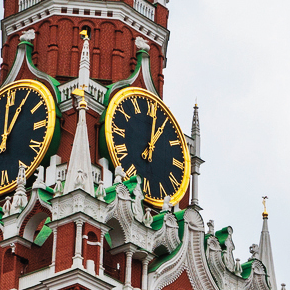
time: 1:01
